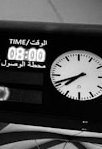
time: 7:41
